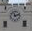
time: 11:12
